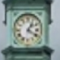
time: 1:20
